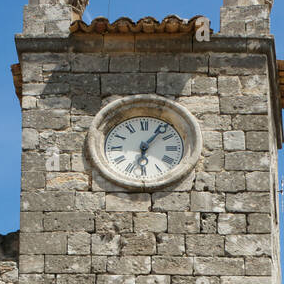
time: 6:06
